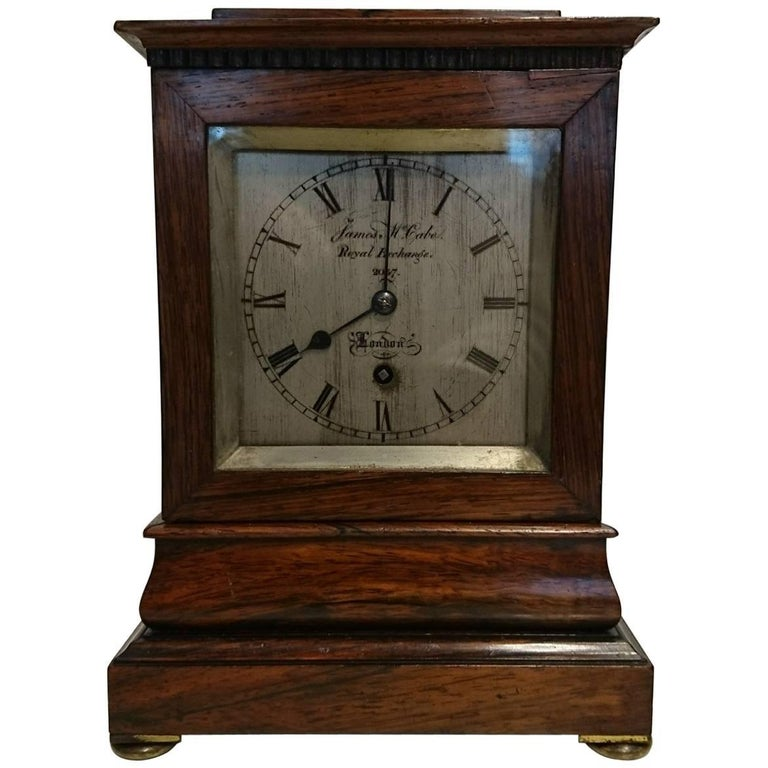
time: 8:00
